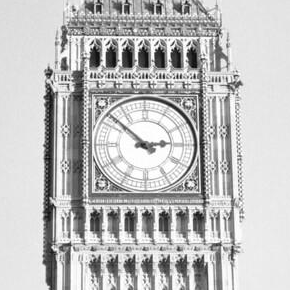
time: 2:52
